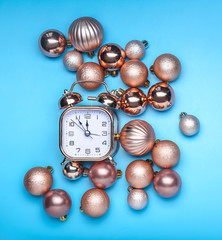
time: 11:52
